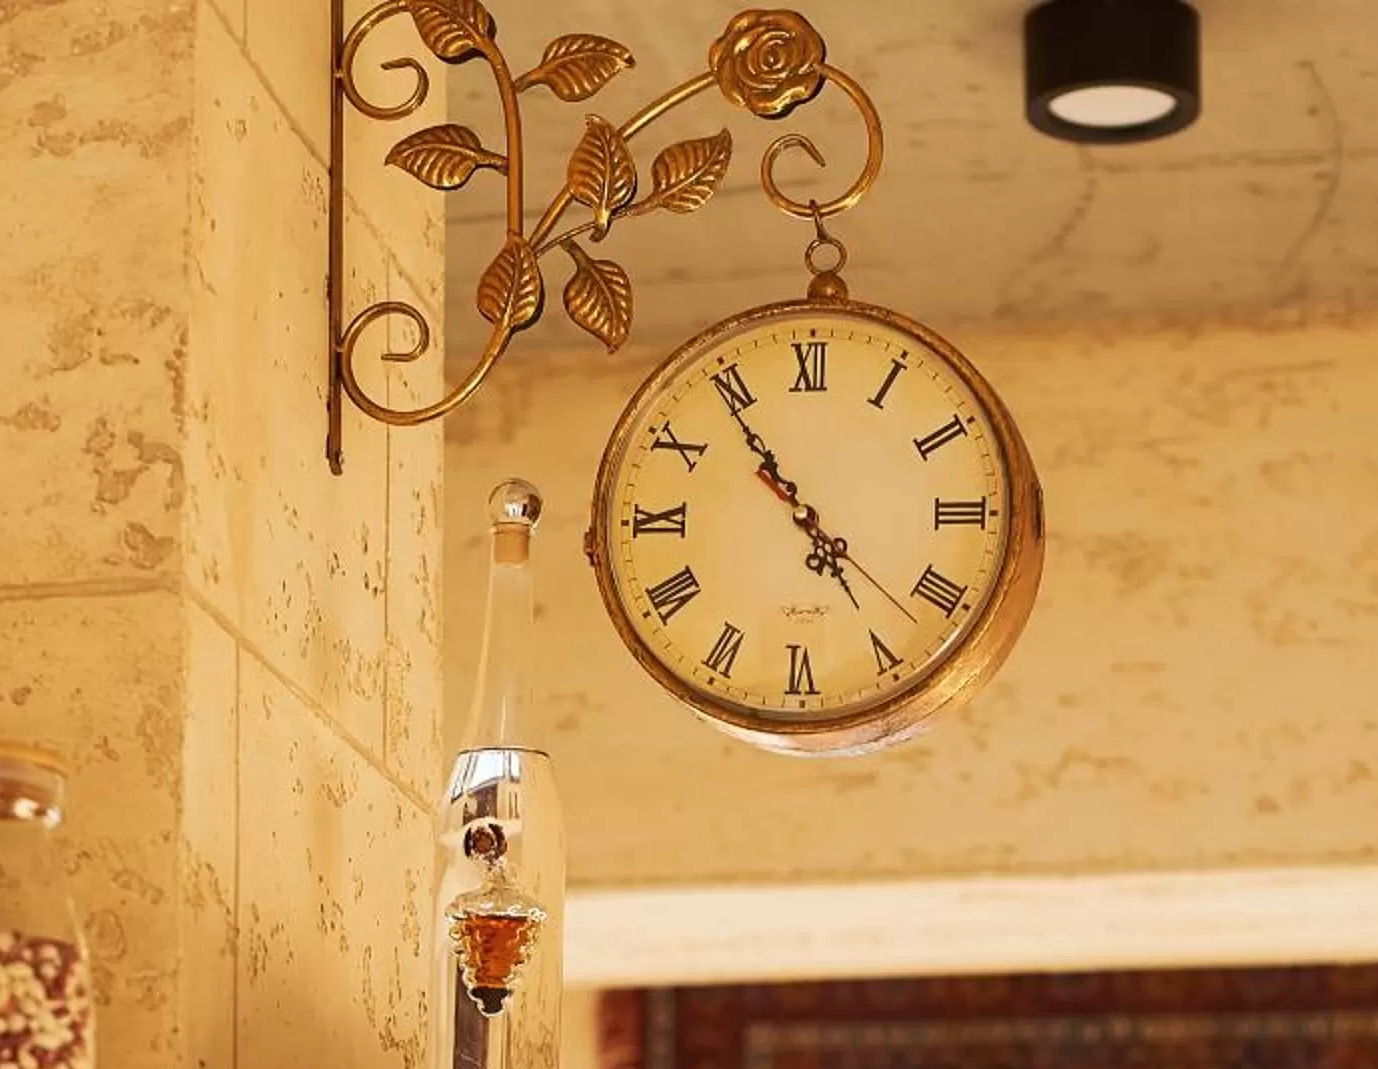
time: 4:54
